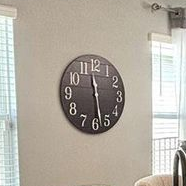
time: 11:28
